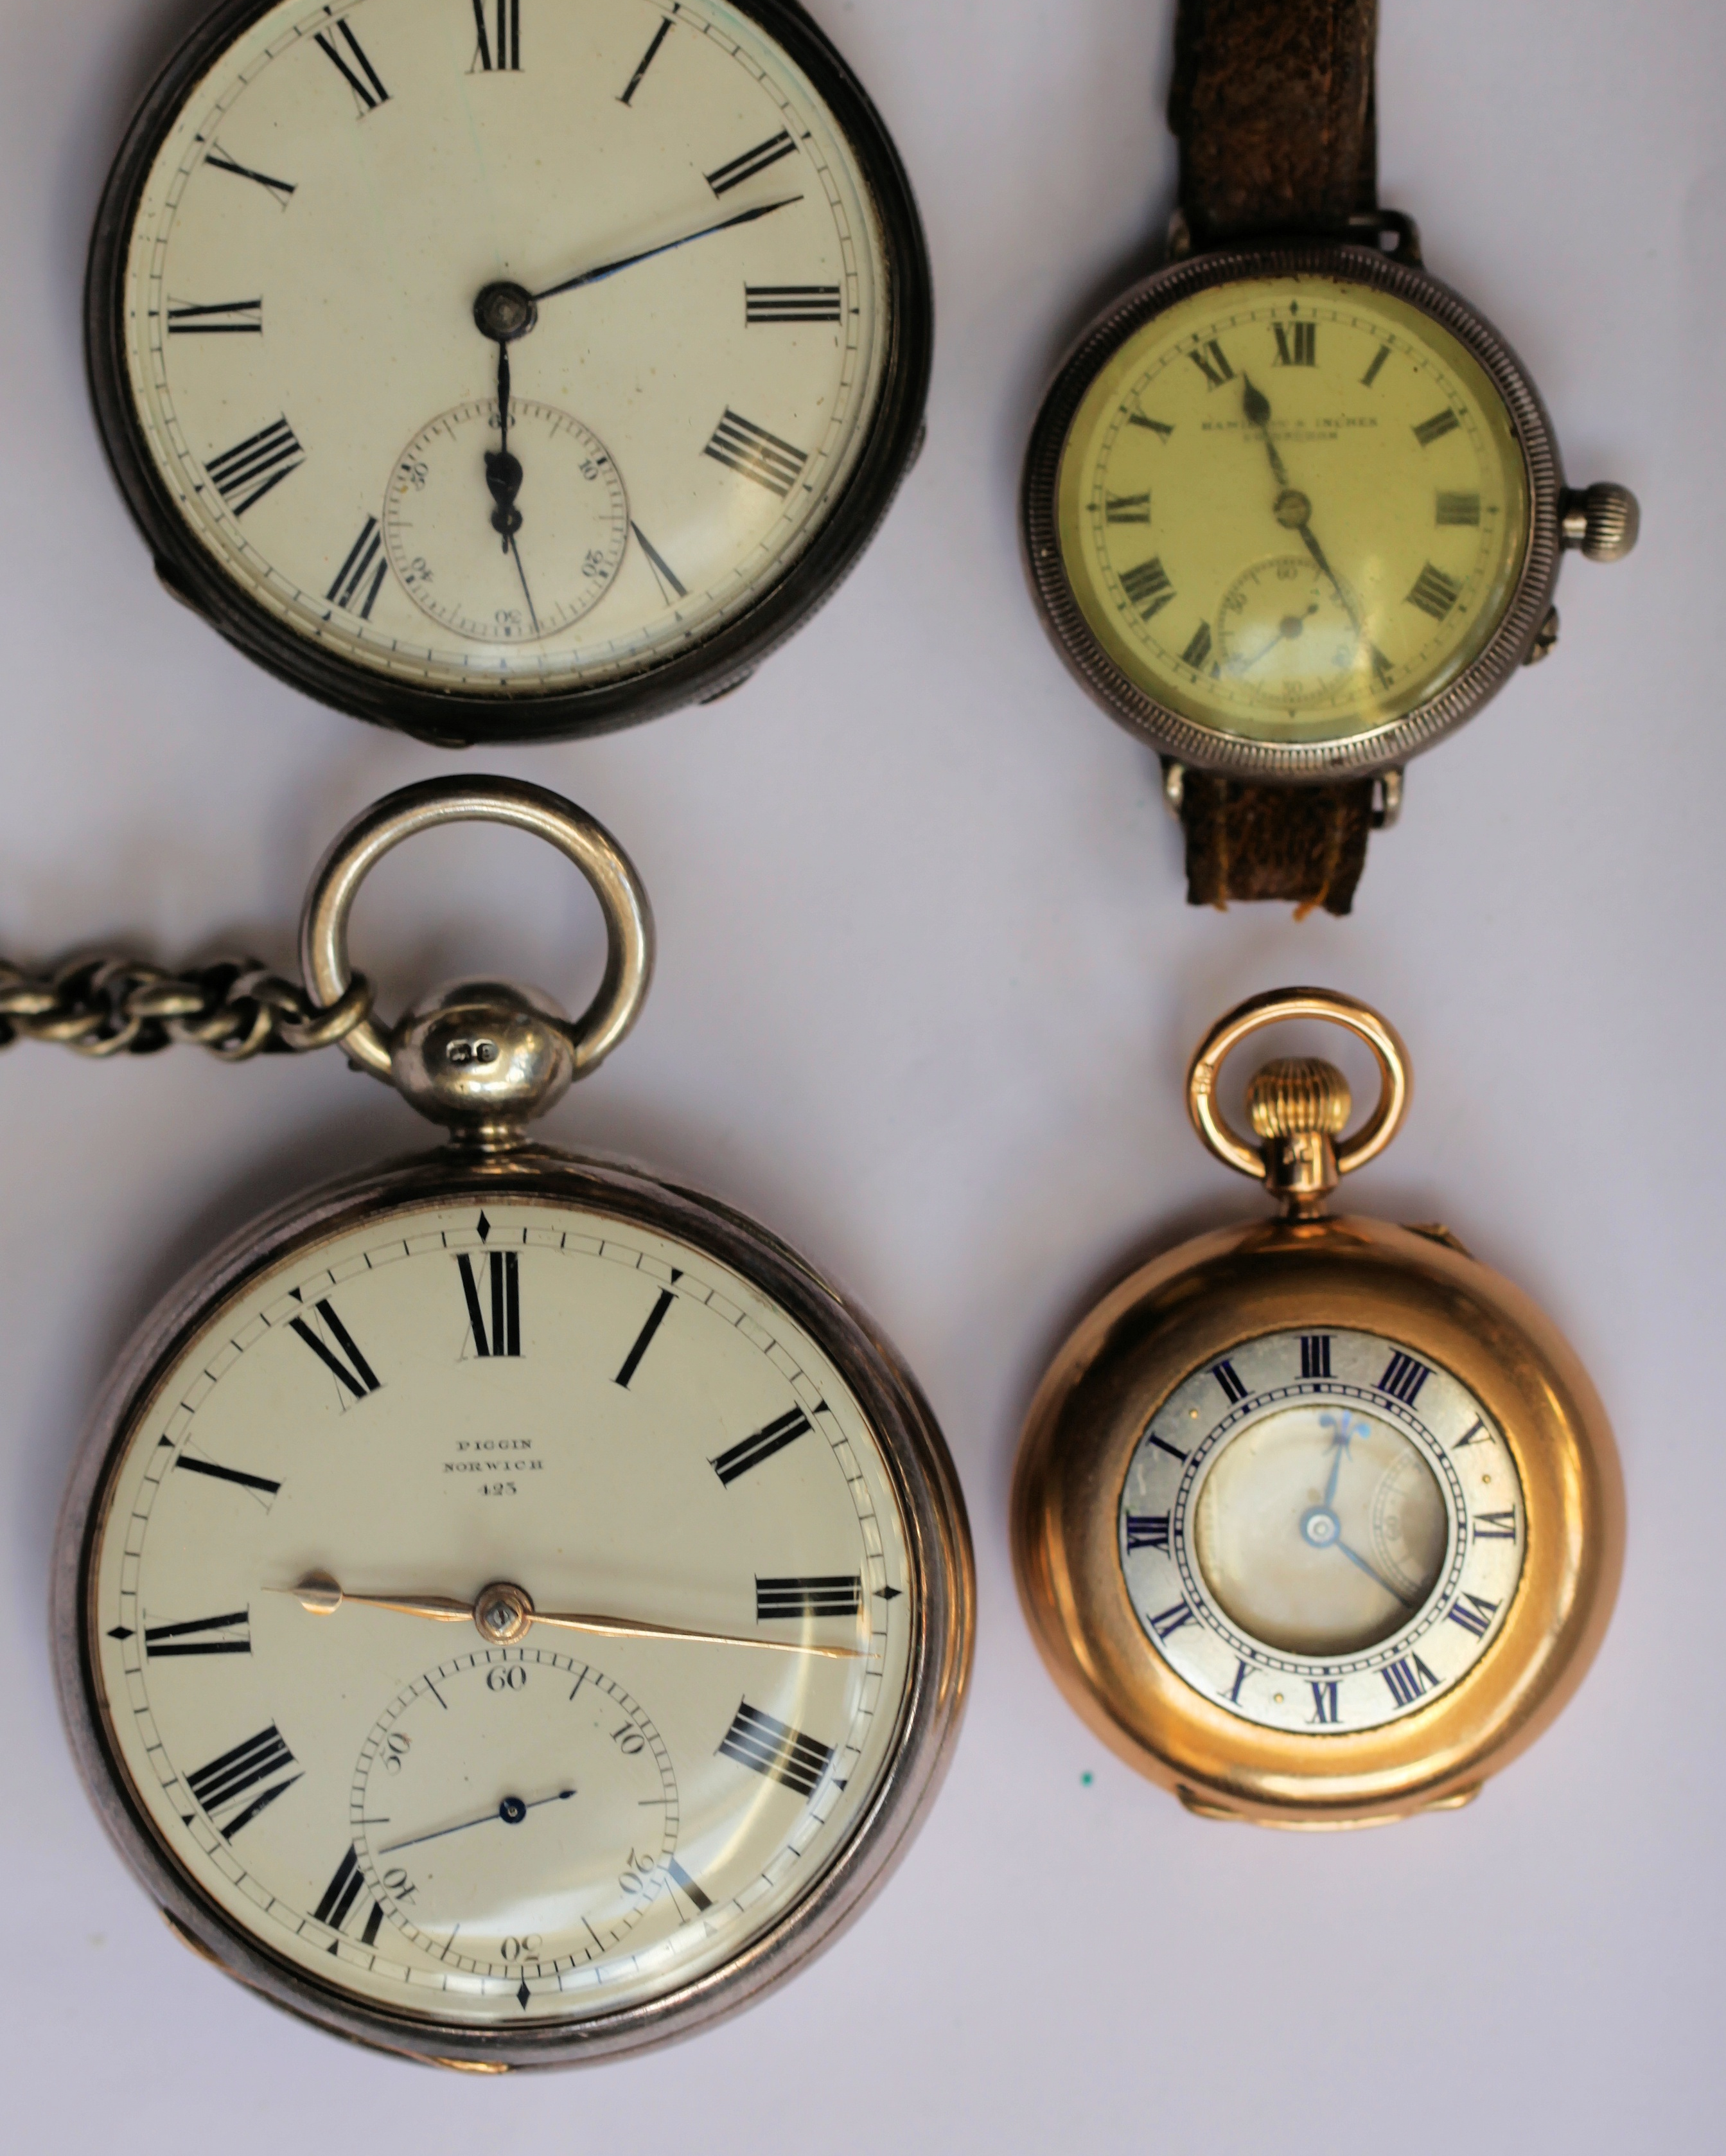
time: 9:16
